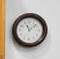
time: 11:08
